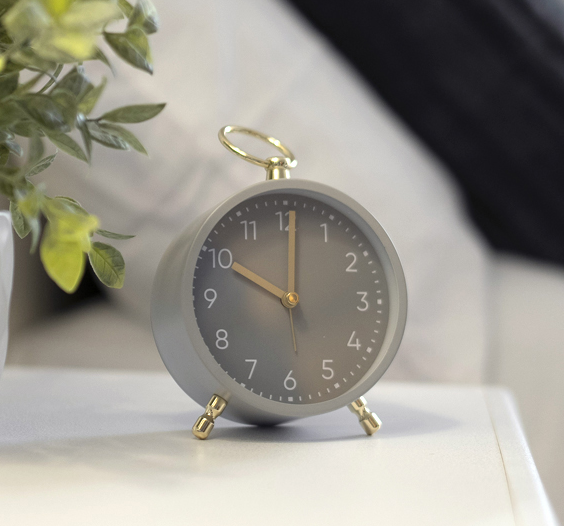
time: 10:00
